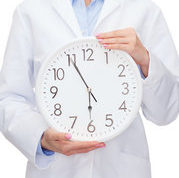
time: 5:55
